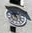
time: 11:55
